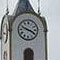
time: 3:48
